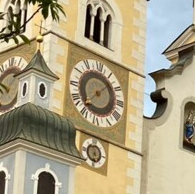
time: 1:37
